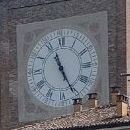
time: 11:25
